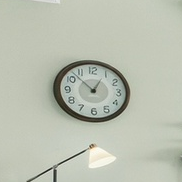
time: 12:52
